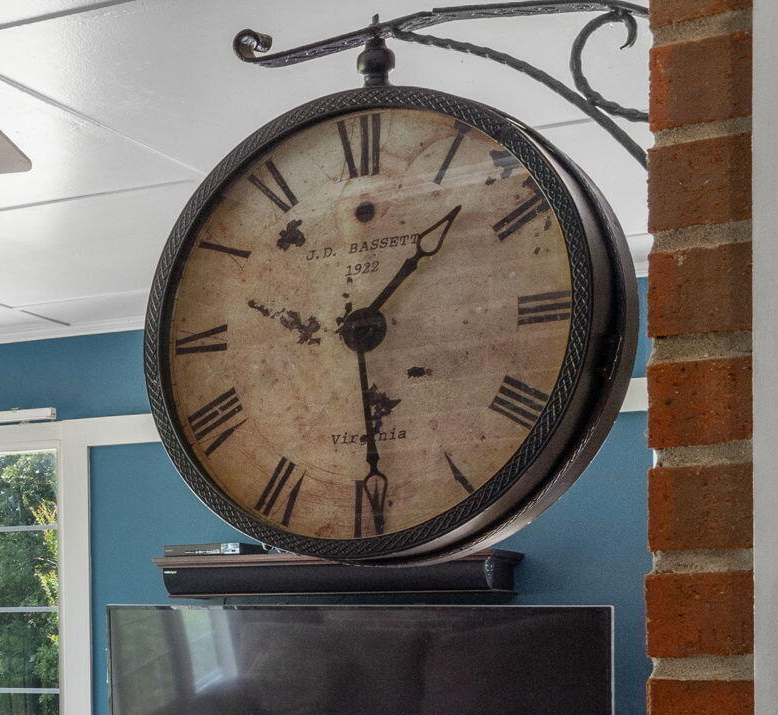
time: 1:29
